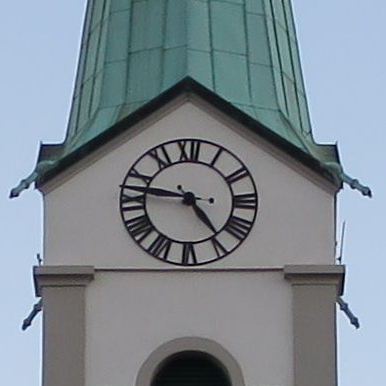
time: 4:46
